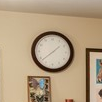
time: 1:38
